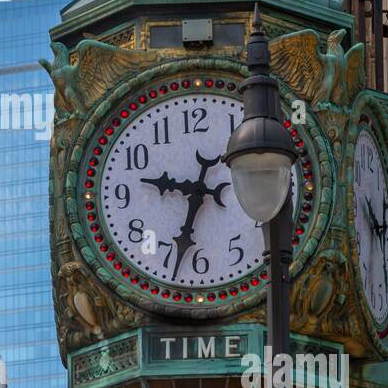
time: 9:33
